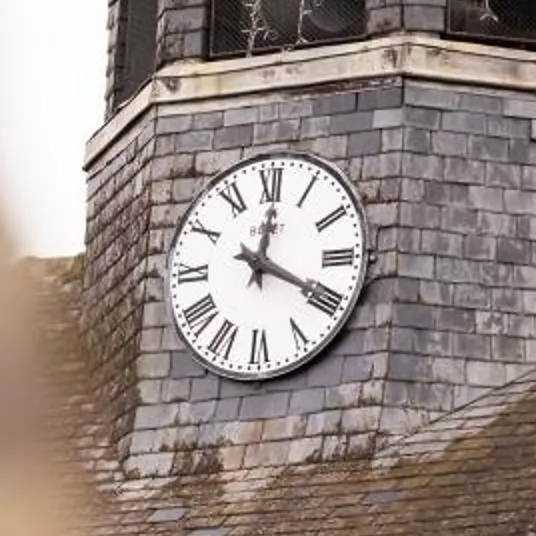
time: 12:19
